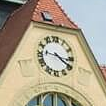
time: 9:20
